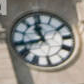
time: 11:42
